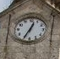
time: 12:34
